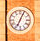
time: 7:04
